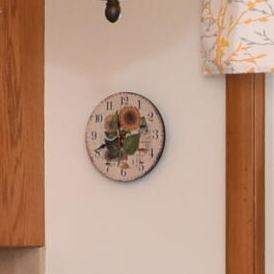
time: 11:41
